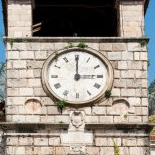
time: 3:00
